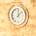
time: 12:07
